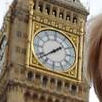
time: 1:38
